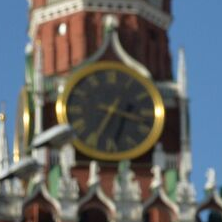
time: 3:34
